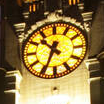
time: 10:34
